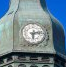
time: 6:13
